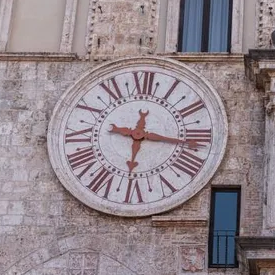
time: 12:16
